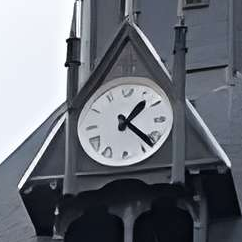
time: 1:22
